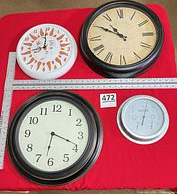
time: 6:18
